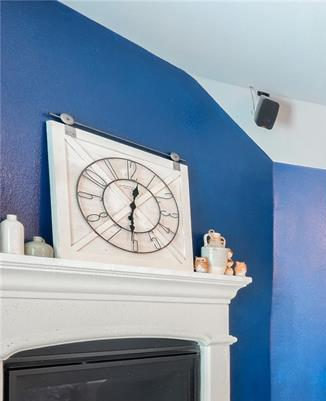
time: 12:31
